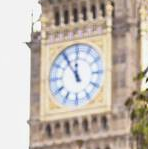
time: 11:54
